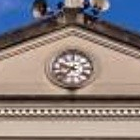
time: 9:37
